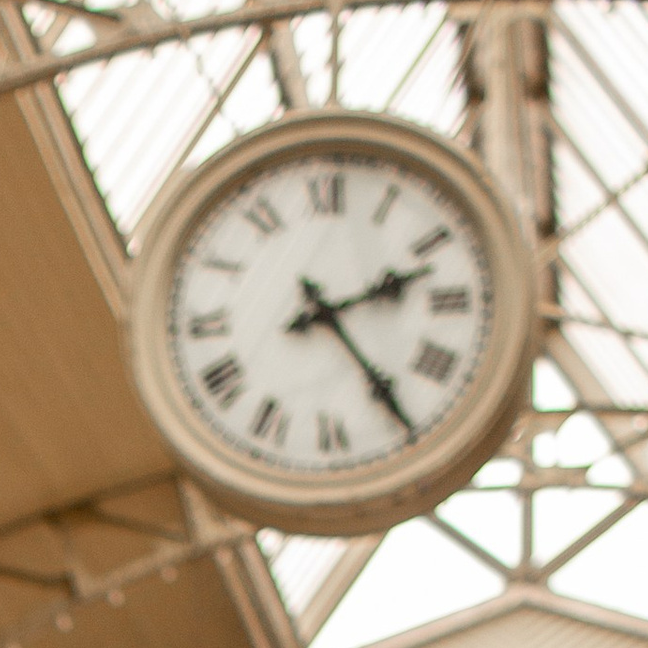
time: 2:24
